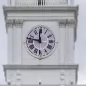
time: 11:46
